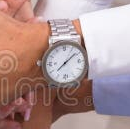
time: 1:37
